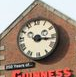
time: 3:15
